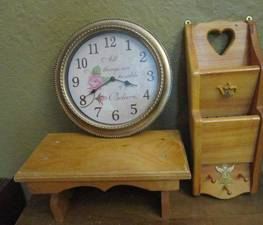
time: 3:40
